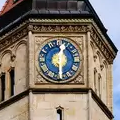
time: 12:29
